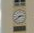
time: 2:38
